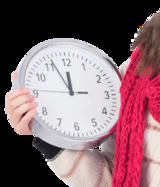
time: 11:55
